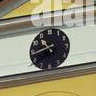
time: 10:42
